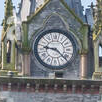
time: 9:22
